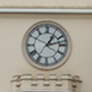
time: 1:12
